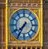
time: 7:35
